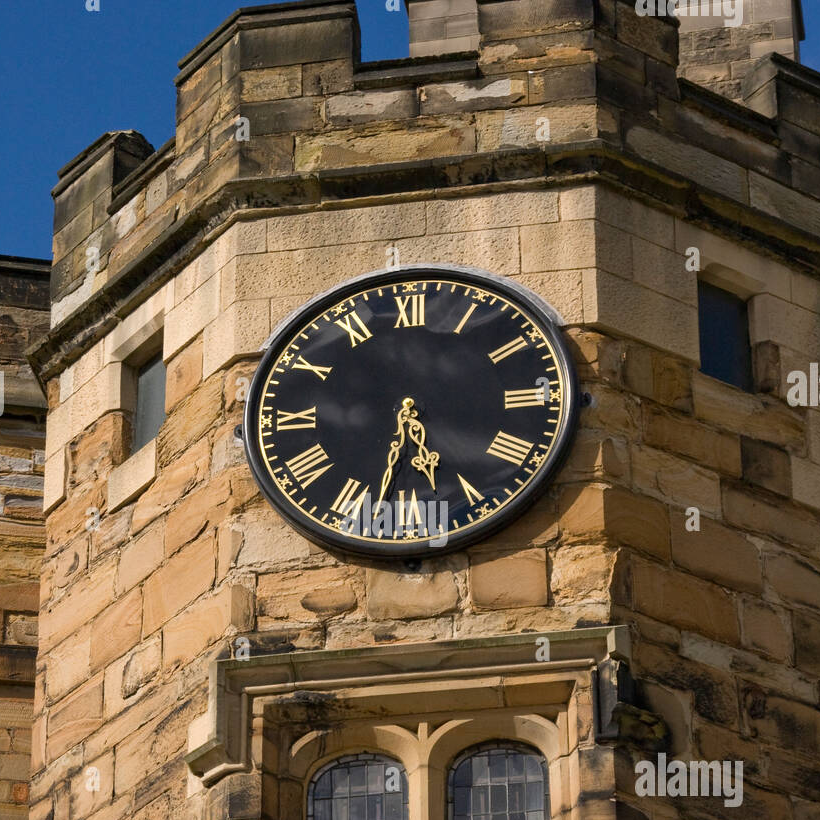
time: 5:32
